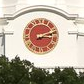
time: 3:11
